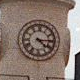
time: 4:14
